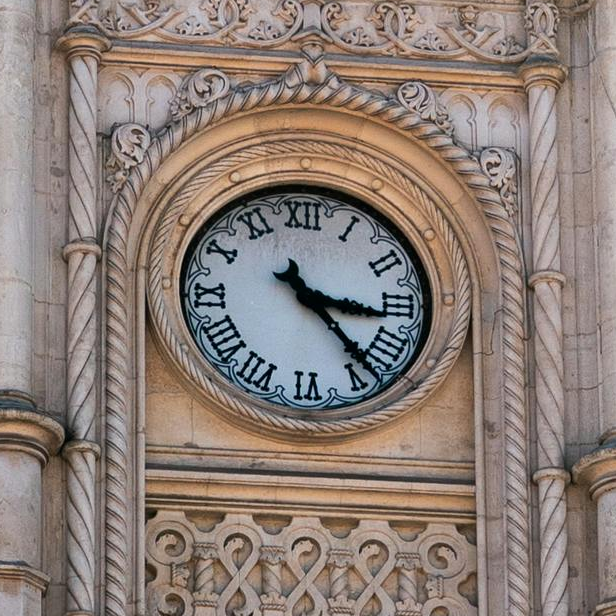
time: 3:23
